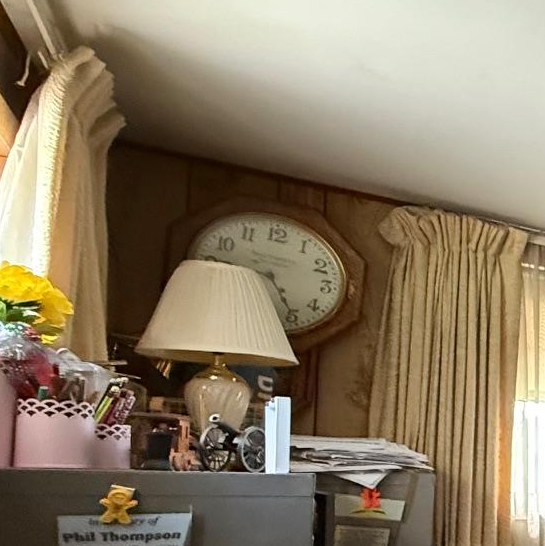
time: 4:46
